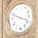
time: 3:48
